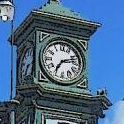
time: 7:12
